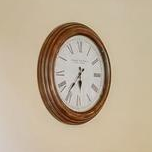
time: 5:36
